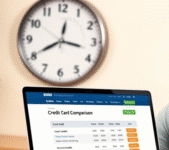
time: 12:16
